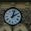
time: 2:02
